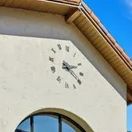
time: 2:20
